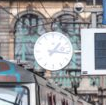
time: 1:16
